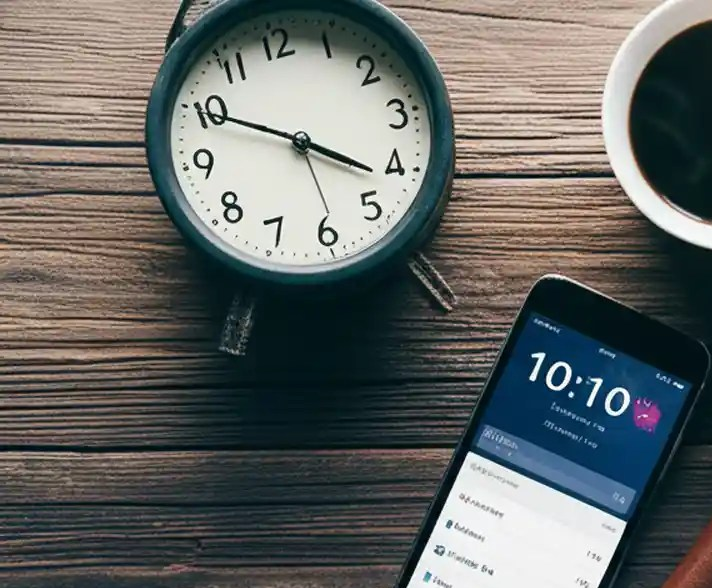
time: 4:21
